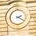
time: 2:20
